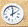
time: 2:00
